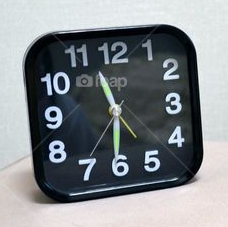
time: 11:31
